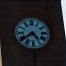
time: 4:38
